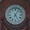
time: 5:05
